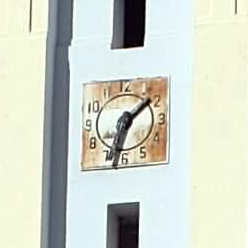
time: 1:33
